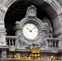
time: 10:07
